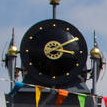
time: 3:09
